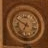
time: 6:49
